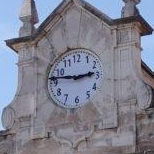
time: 2:46
